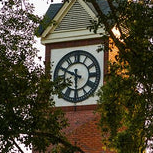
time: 5:49
